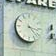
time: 3:22
